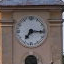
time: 7:15
